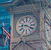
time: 9:20
